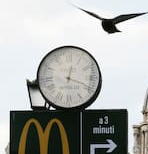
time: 12:18
